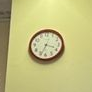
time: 3:33
